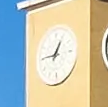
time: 12:45
